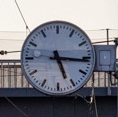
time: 5:16
